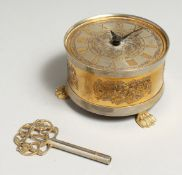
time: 12:07
